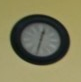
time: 12:32
